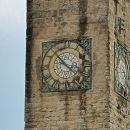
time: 3:52
